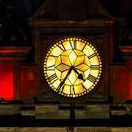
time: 4:35
